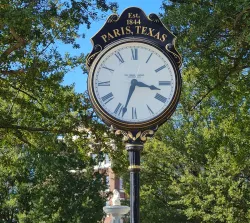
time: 3:33
